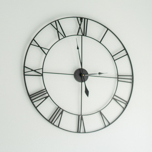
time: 2:59
